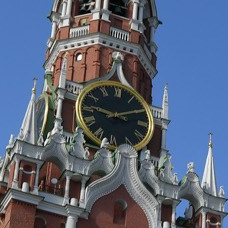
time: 9:10
